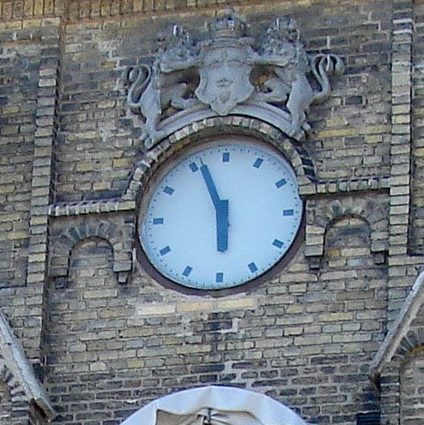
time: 5:56
